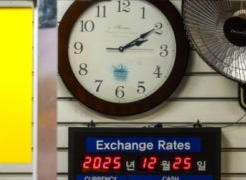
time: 2:09
